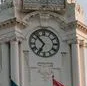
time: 6:52
